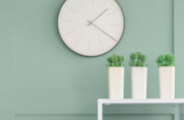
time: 1:20
